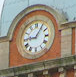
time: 9:05
